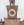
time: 9:01
